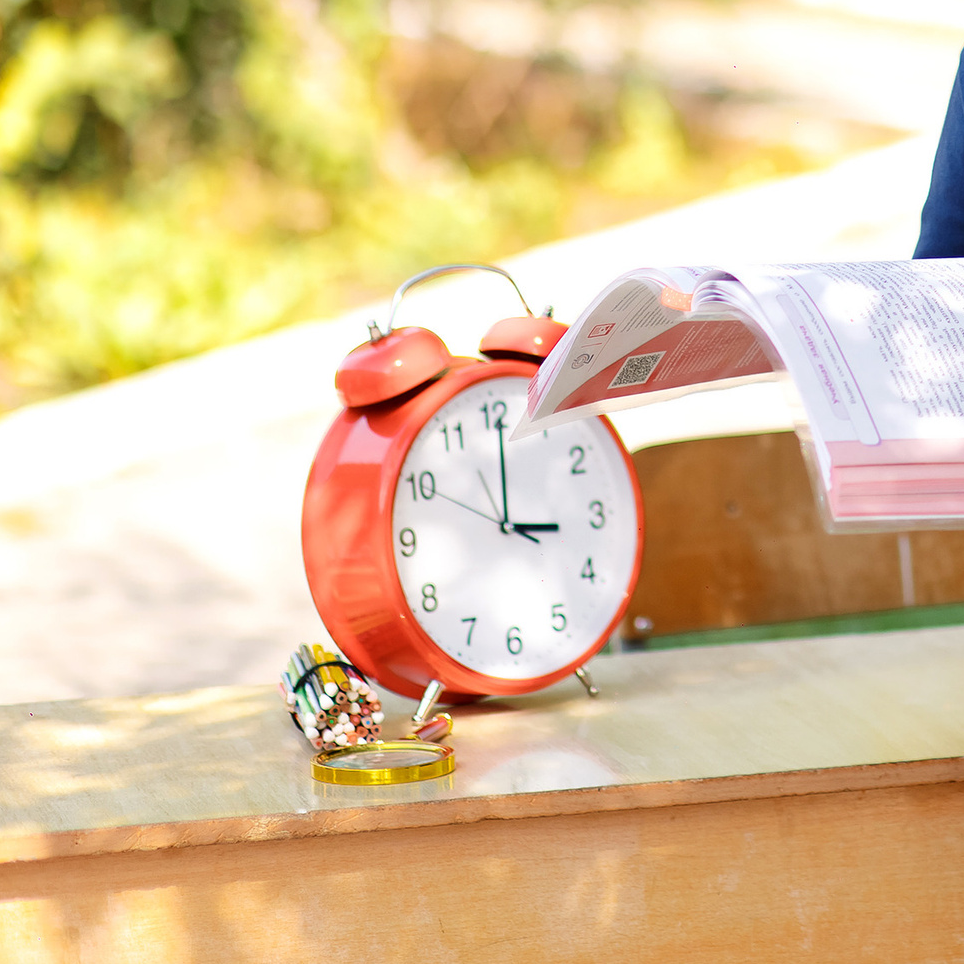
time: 3:00
